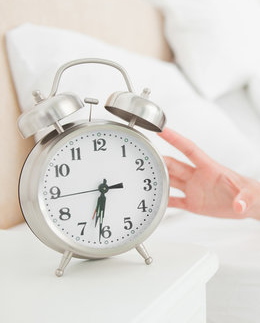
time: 6:31
